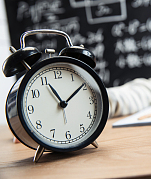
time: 11:09
